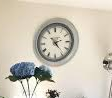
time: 2:23
